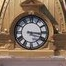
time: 3:16
